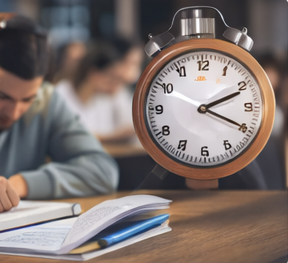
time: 2:19
